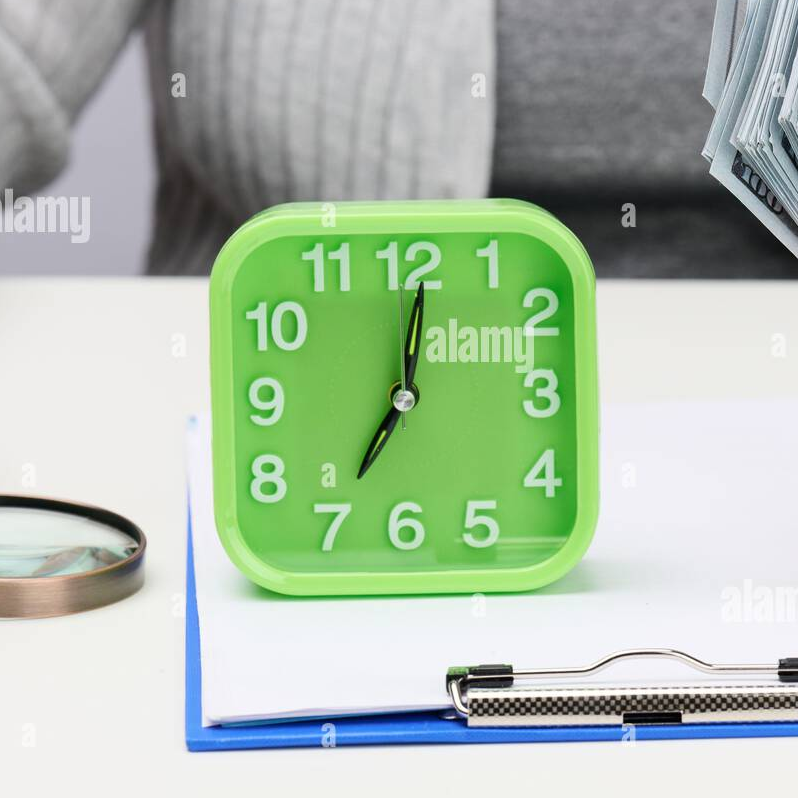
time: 7:01
